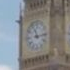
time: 11:13
